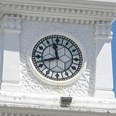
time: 11:41
